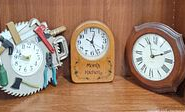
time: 12:26
